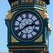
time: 2:39
